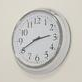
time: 2:40
